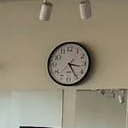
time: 3:24
